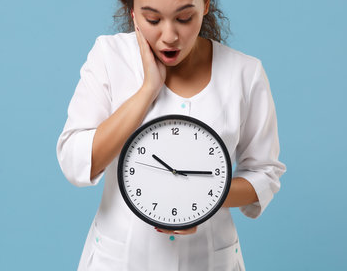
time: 10:15
